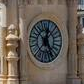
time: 12:24
